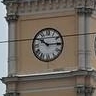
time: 10:14
